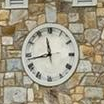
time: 11:42
